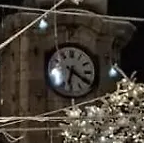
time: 6:20
